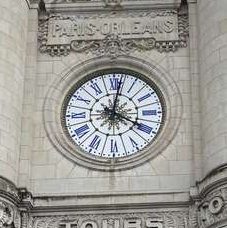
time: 4:01
